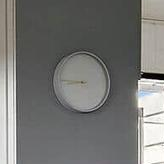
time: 8:45
